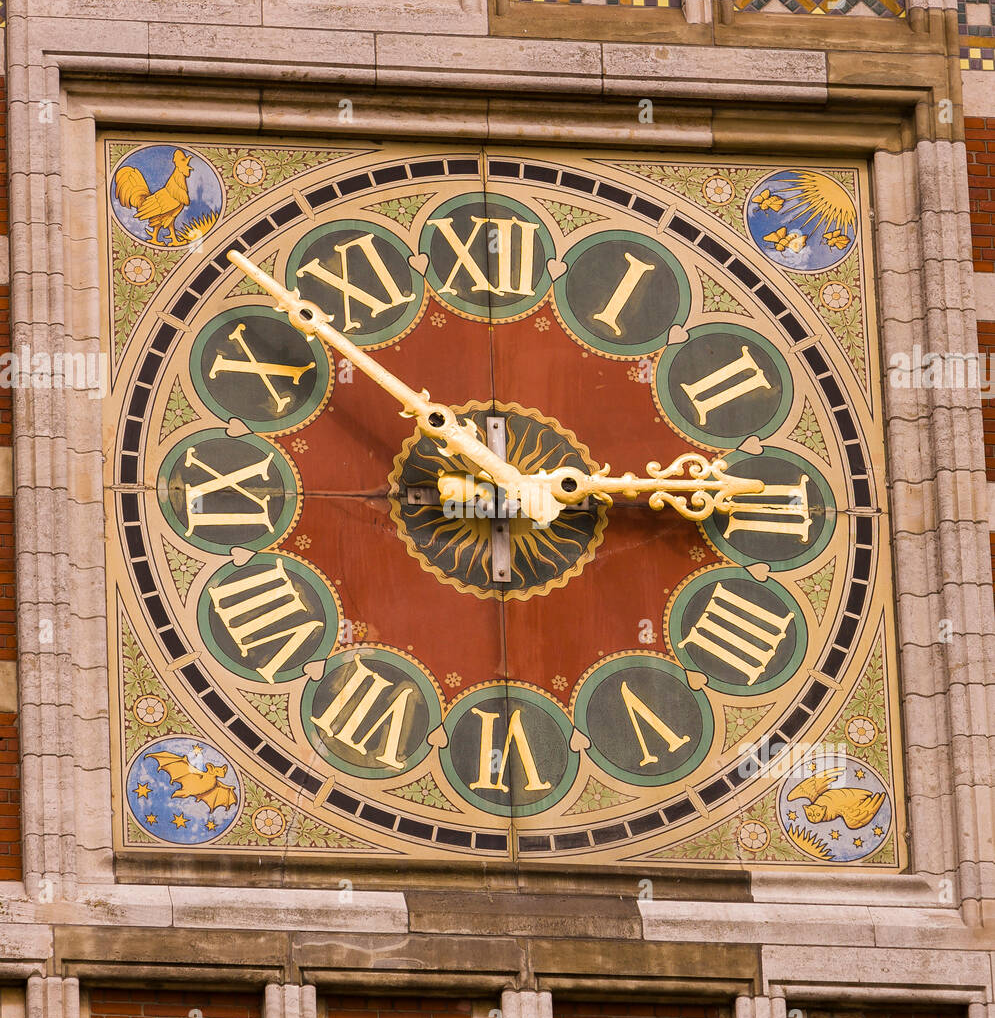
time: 2:52
